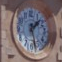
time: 1:28
